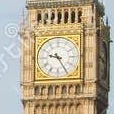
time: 9:25
